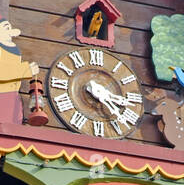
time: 4:17
